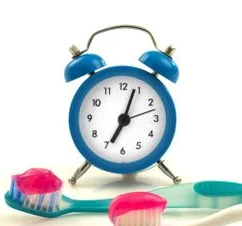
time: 7:03
